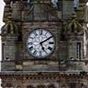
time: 5:09
